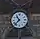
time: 10:37
